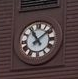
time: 11:08
